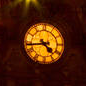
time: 4:43
